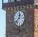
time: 12:37
